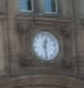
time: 12:28
